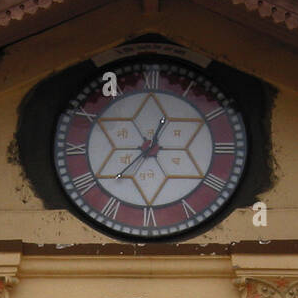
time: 12:37
